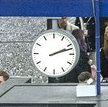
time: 2:12
